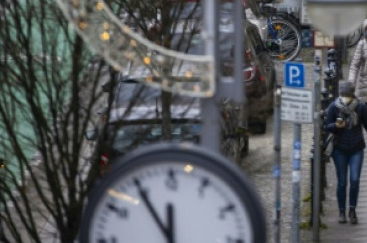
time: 11:54
